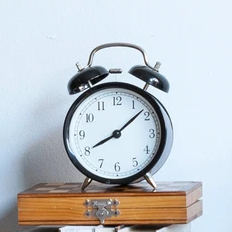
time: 8:08
